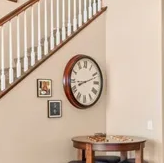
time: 8:11
